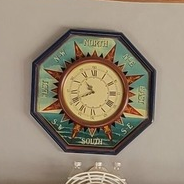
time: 10:40
